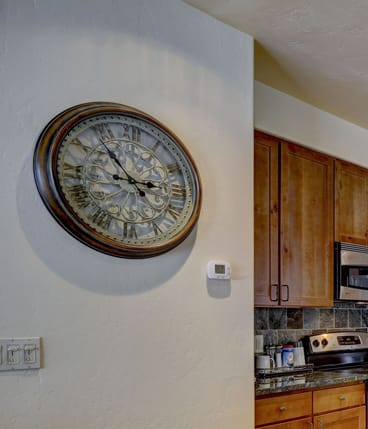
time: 2:53
